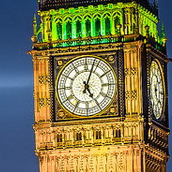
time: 5:03
